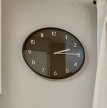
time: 2:14
